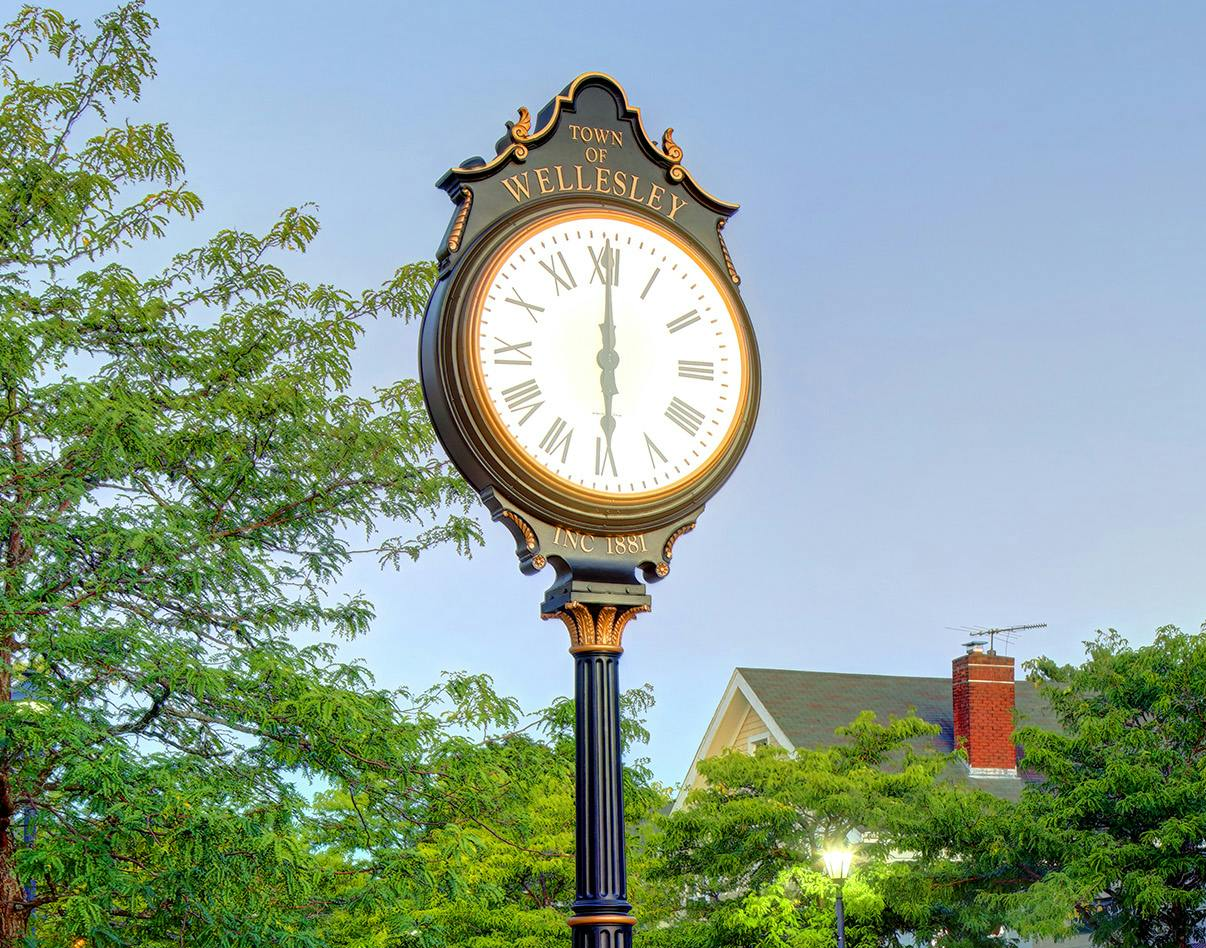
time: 6:00
